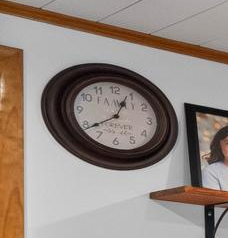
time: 12:38
